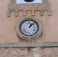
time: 1:07
